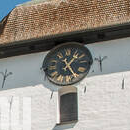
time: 1:24
